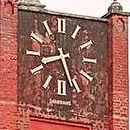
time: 8:26
